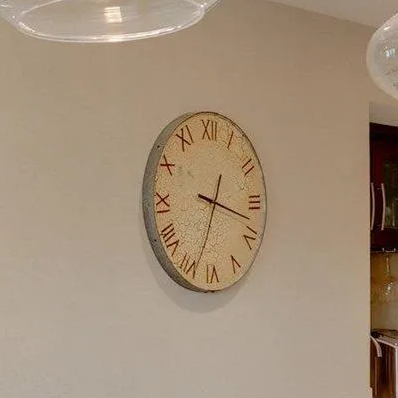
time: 3:33
